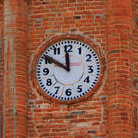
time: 11:50
